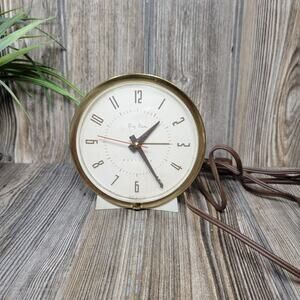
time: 1:24
